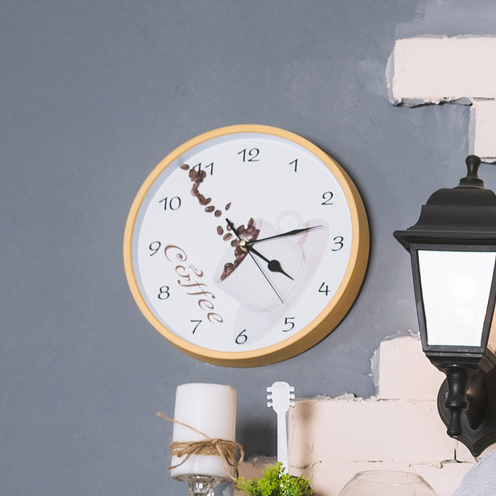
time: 4:12
